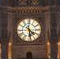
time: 4:29
